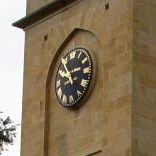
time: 9:53
